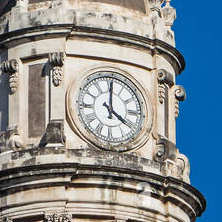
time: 4:00
